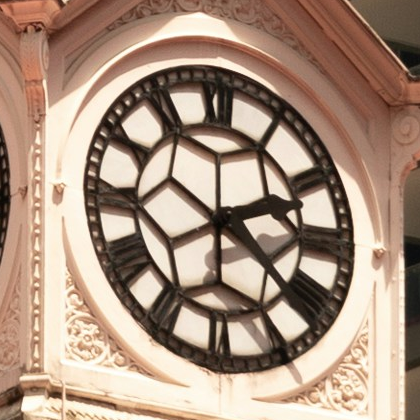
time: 2:21
